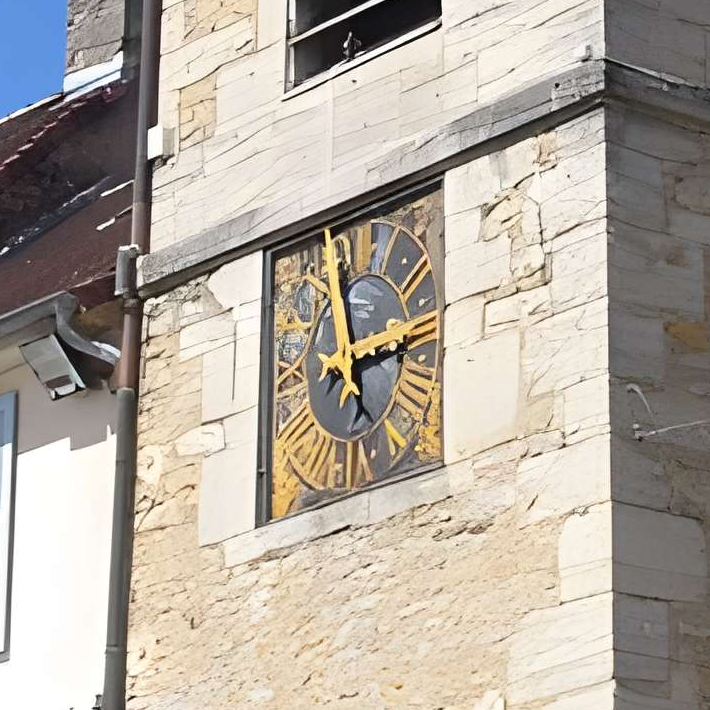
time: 2:58
